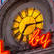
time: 7:15
